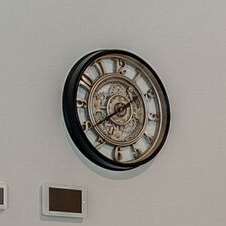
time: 1:39
